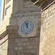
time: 11:55
